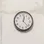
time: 12:22
